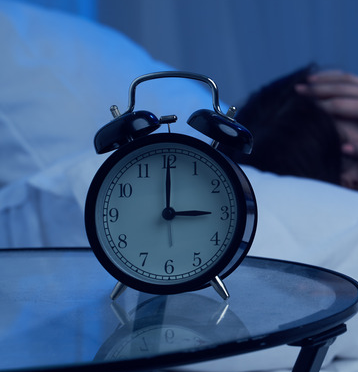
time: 3:00
